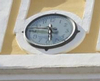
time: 5:46
